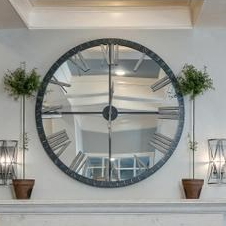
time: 3:00
